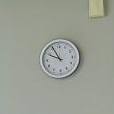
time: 9:55
